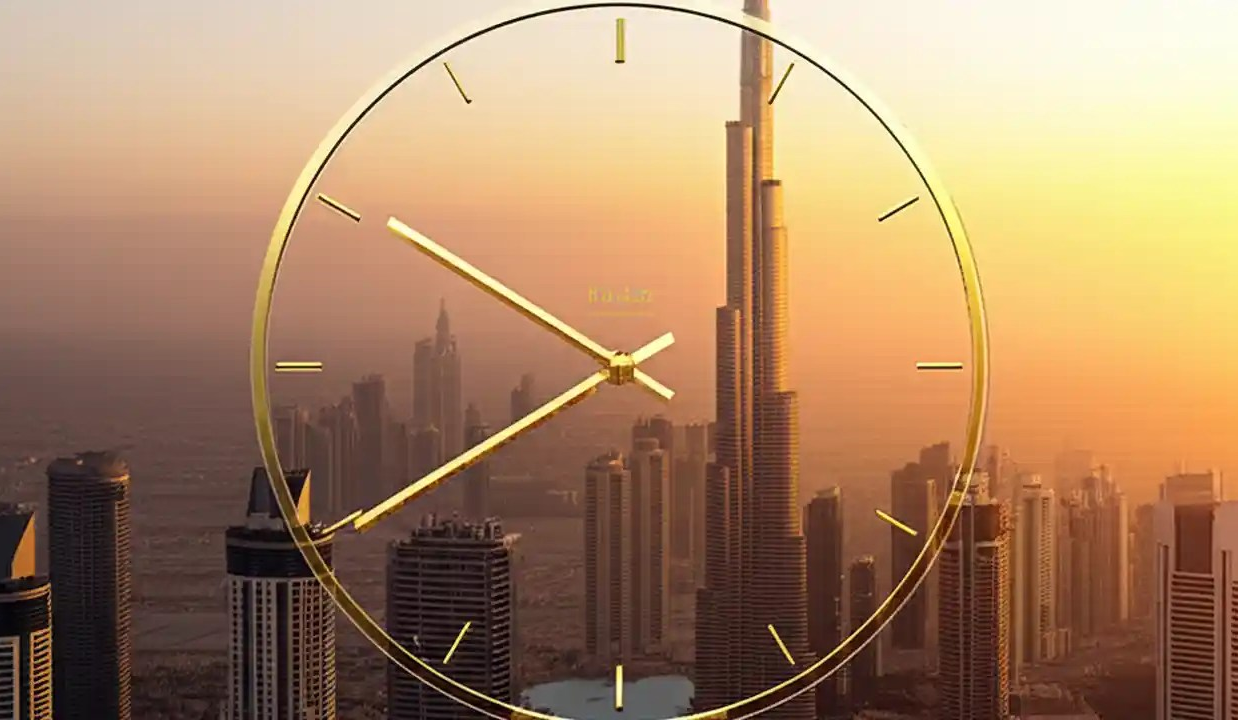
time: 7:50
